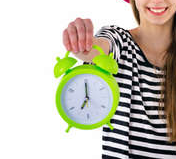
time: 7:00
